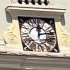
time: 12:13
